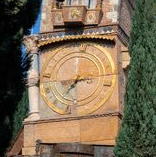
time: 7:00
